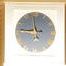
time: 11:46
